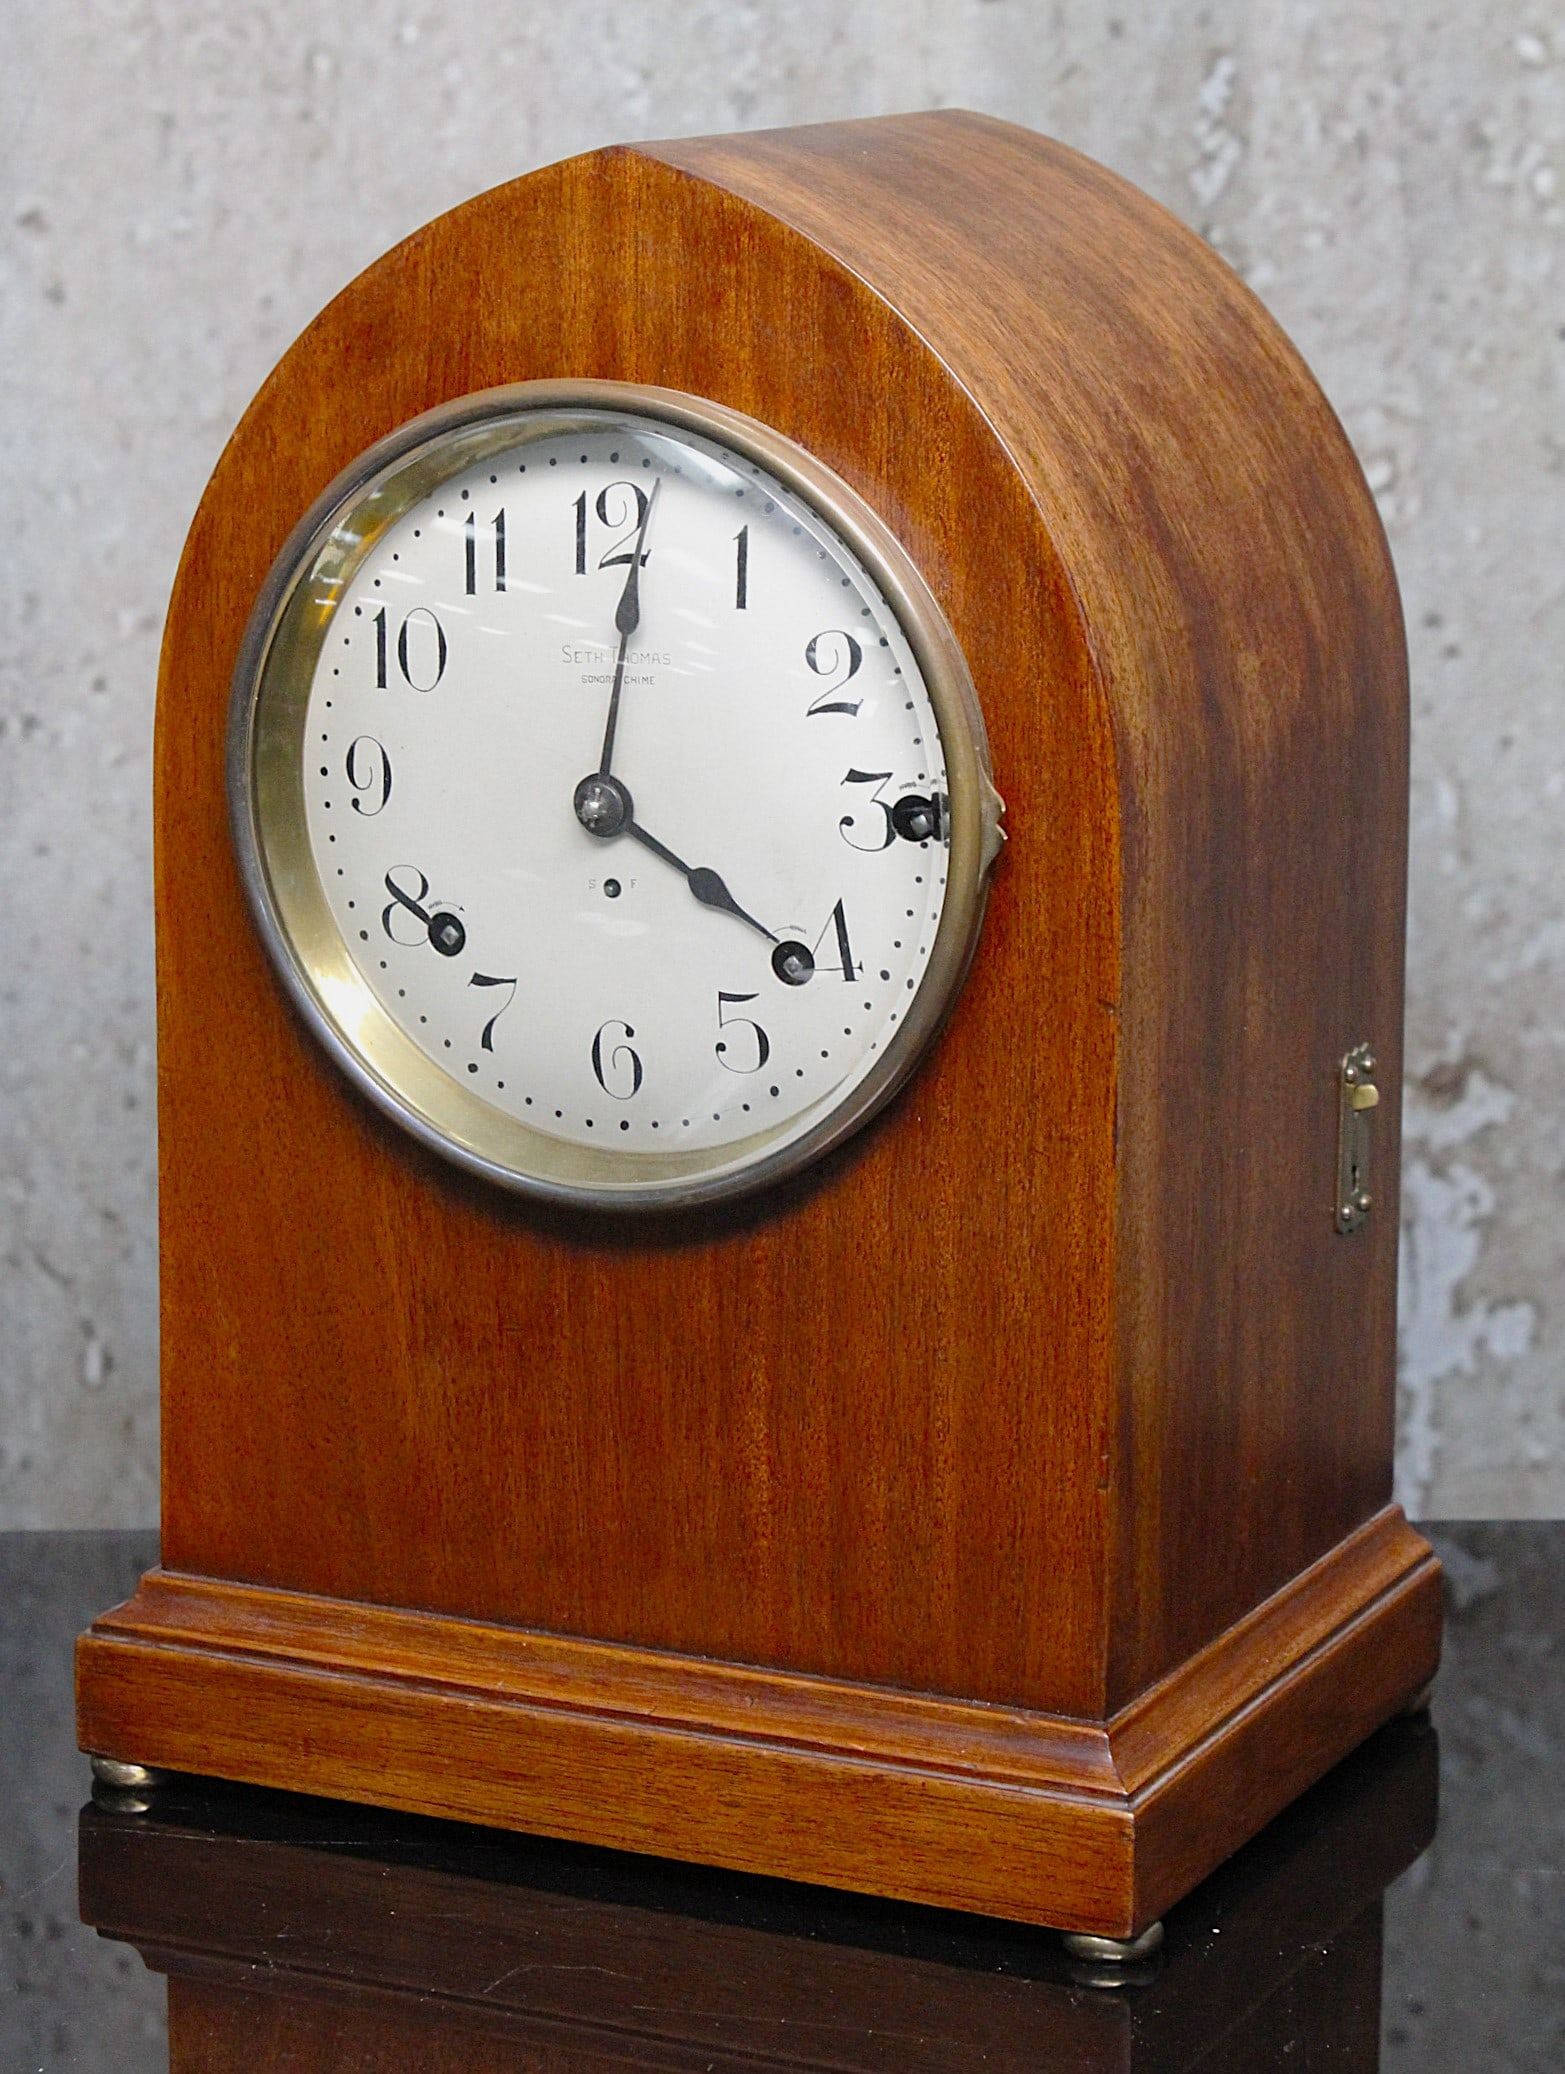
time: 4:01
